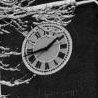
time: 1:42
